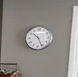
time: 10:26
